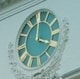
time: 4:00
